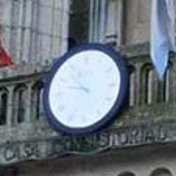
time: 10:47
